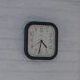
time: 4:31
